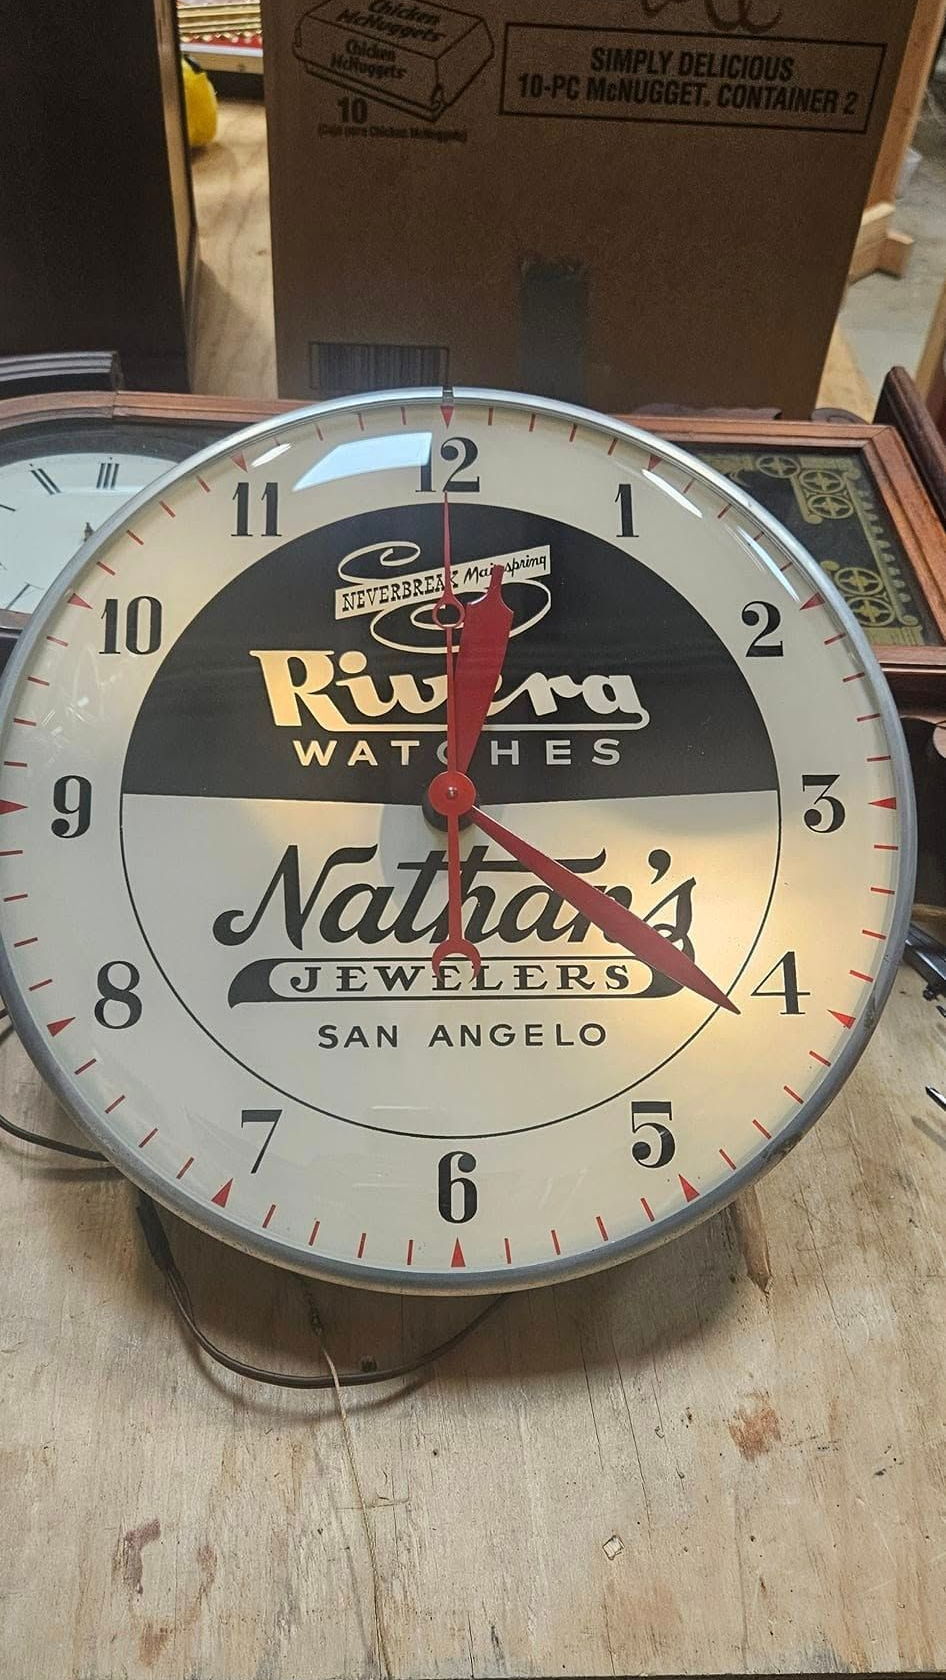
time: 10:45
